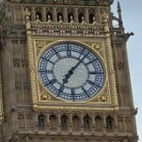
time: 7:07
